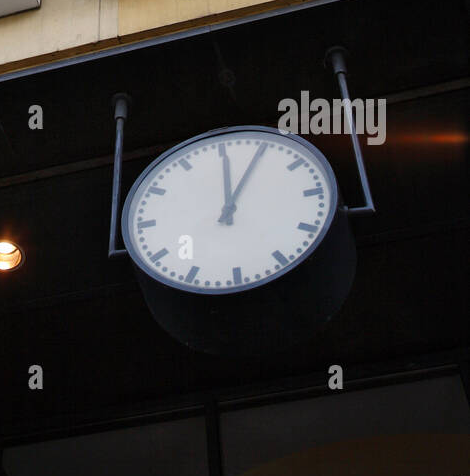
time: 12:04
